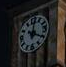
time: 12:19
